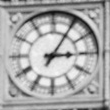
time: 3:05
